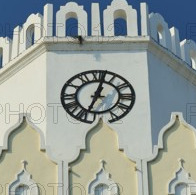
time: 7:02
